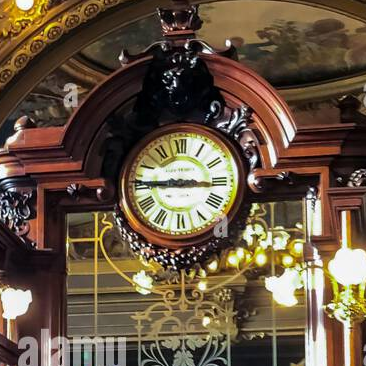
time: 8:45
